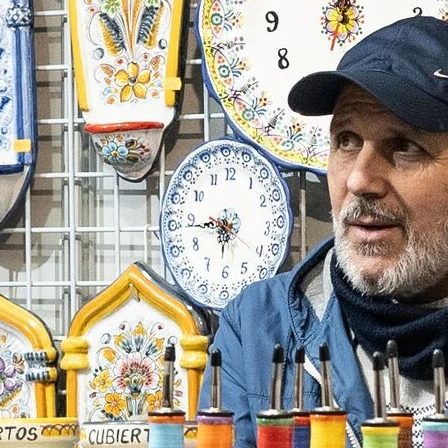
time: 5:44
